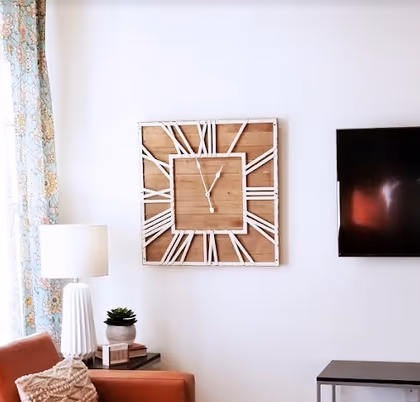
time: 12:57
